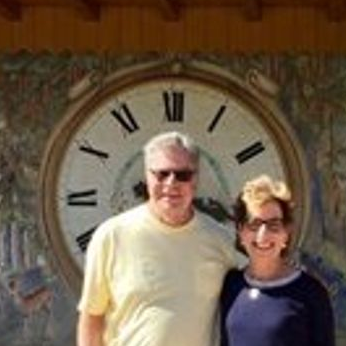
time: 3:41
